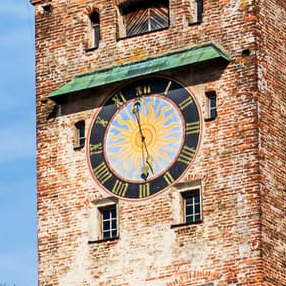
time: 11:28
